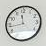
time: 11:43
